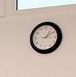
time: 1:09
